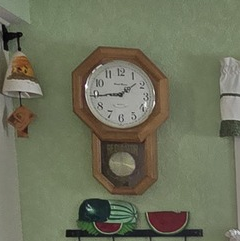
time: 1:43
